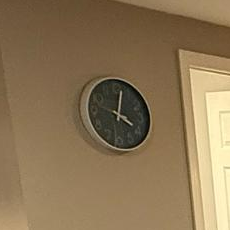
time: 4:02
